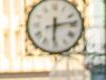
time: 6:13
